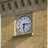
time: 6:15
